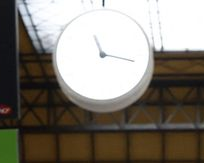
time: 11:17
